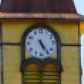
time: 5:24
